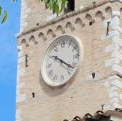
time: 10:21
